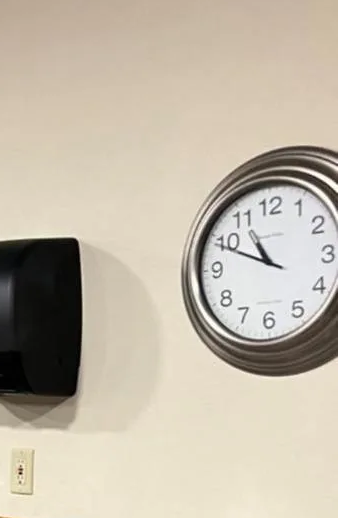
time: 10:49
